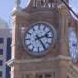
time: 2:23
